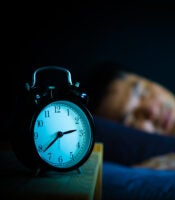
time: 2:38
